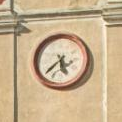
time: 5:38
